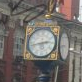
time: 2:42
